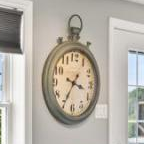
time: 3:35
